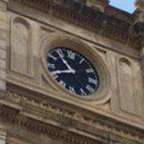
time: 10:41
